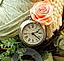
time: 2:21
